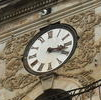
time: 3:19
